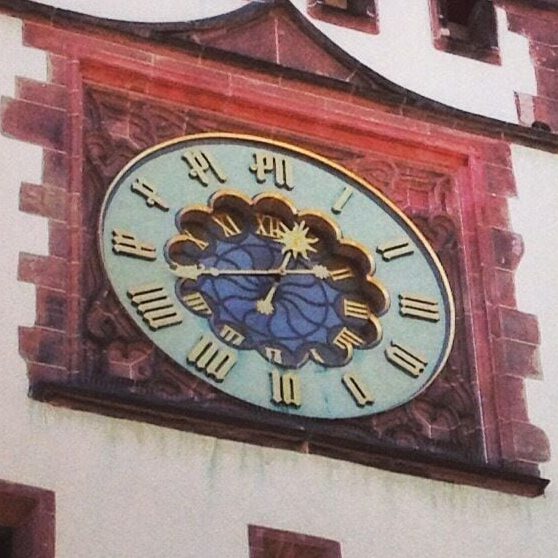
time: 12:43
